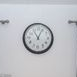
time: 11:04
